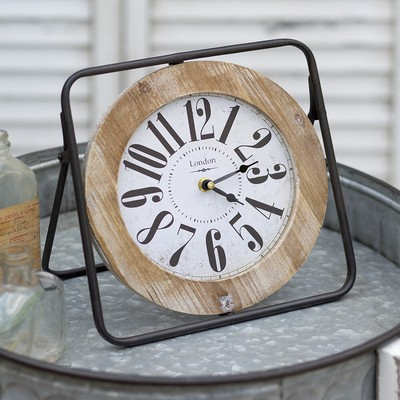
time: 2:20
